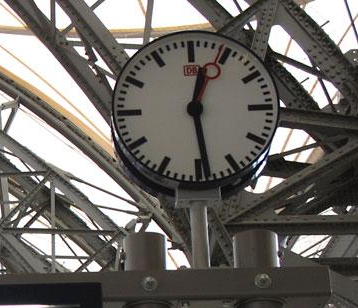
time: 12:28
